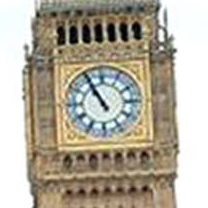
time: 10:55
